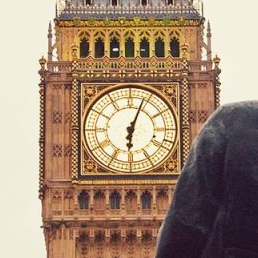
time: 6:03
